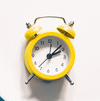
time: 2:07
